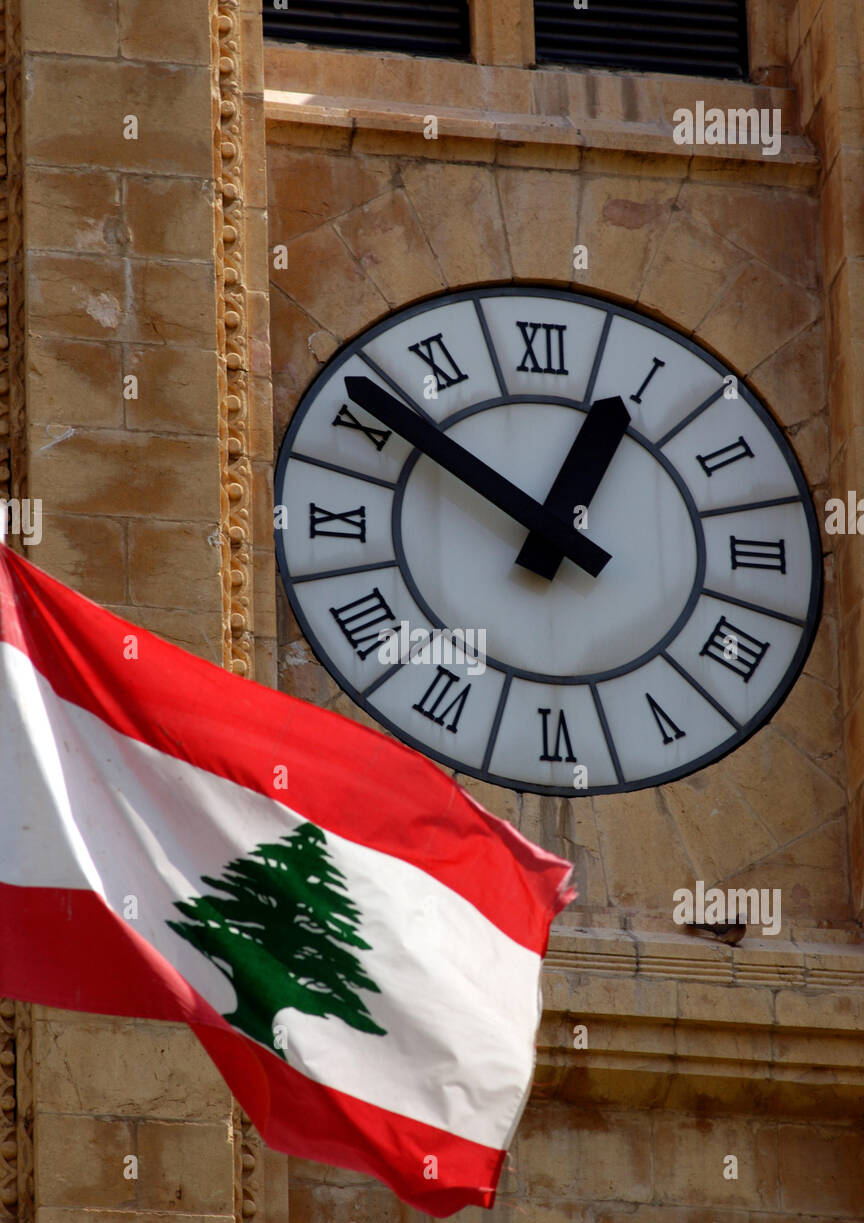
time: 12:51
